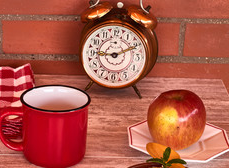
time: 9:10
